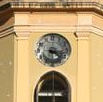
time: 4:16
